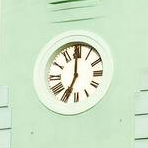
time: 6:59
